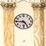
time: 4:45
